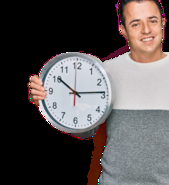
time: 10:13
